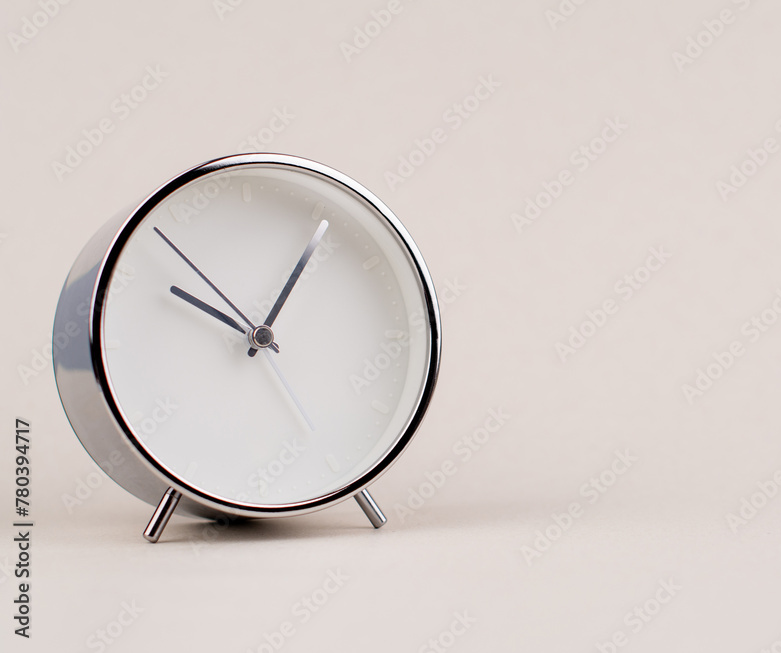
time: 10:05
